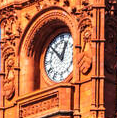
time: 12:52
